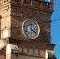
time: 12:21
